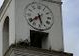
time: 5:38
